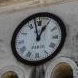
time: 12:57
